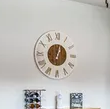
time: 1:02
